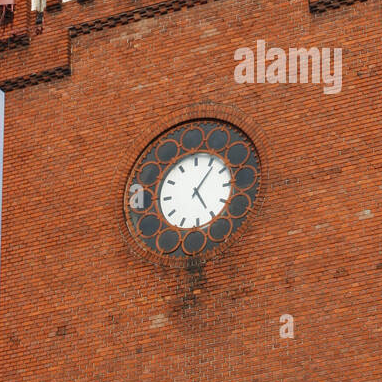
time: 5:06
